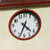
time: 4:33
